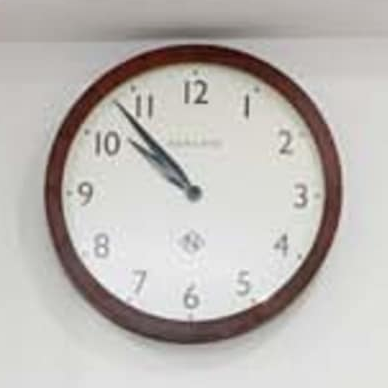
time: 9:53
